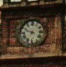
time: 6:48
